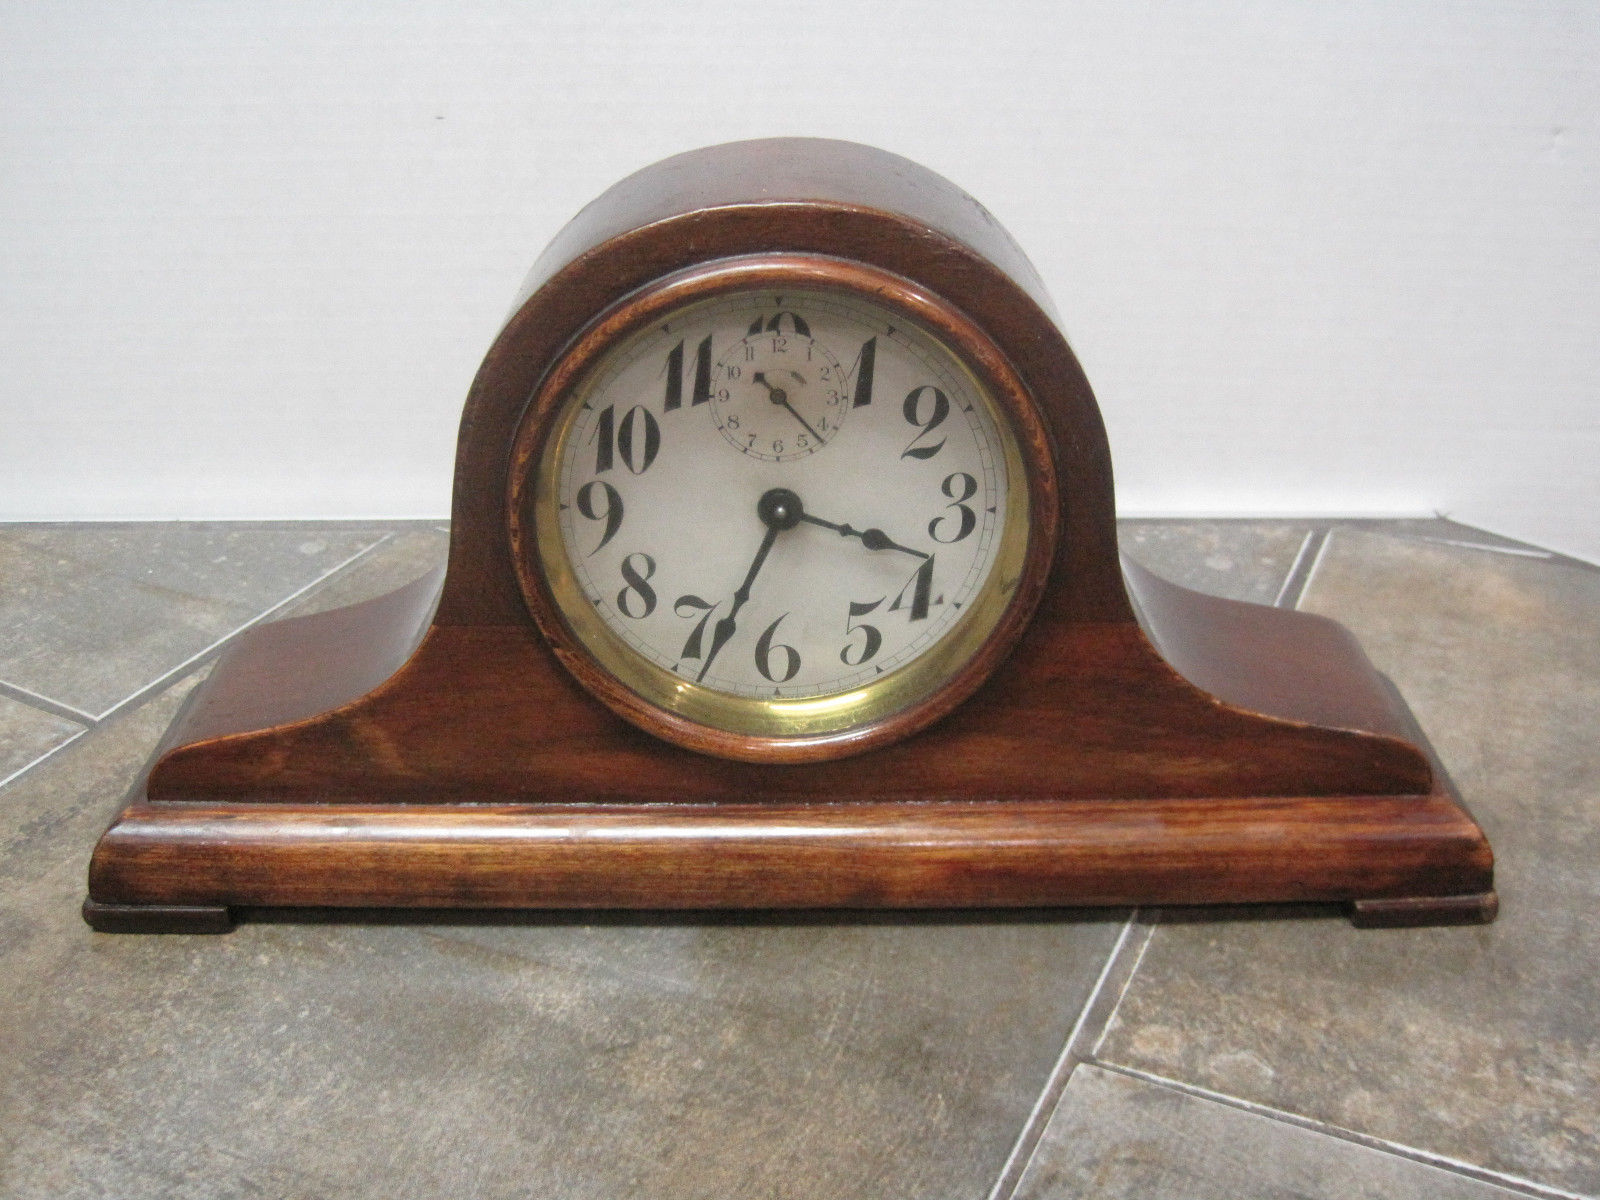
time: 3:34
